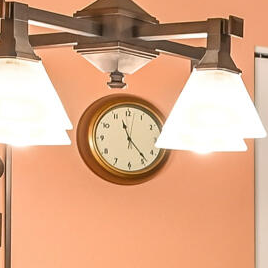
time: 11:23
